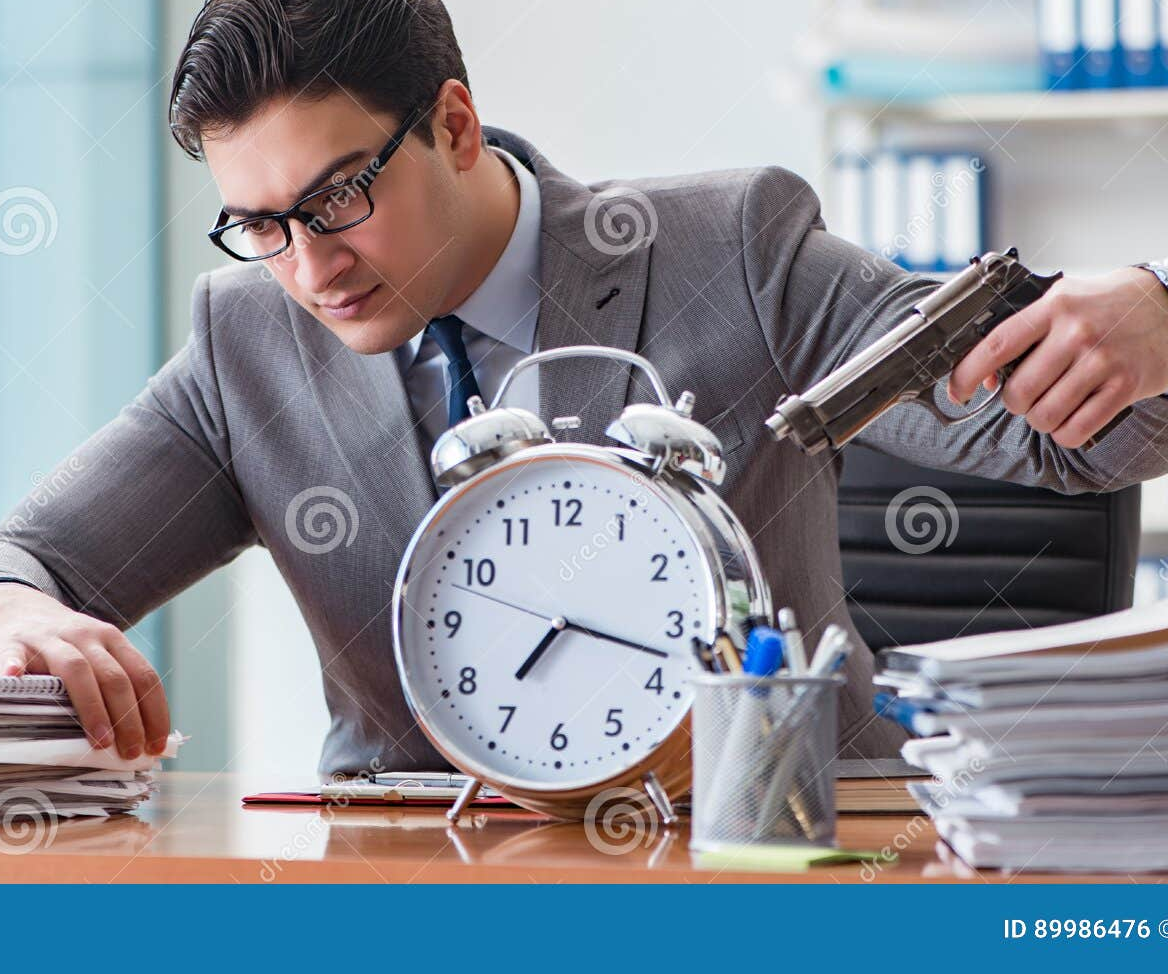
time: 7:17
